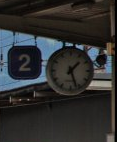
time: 1:26
